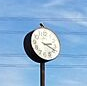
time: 2:18
